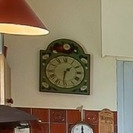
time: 1:31
